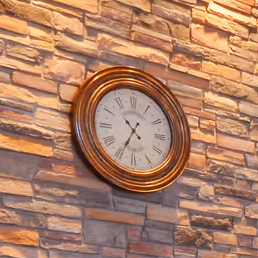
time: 10:34
